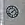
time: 1:37
